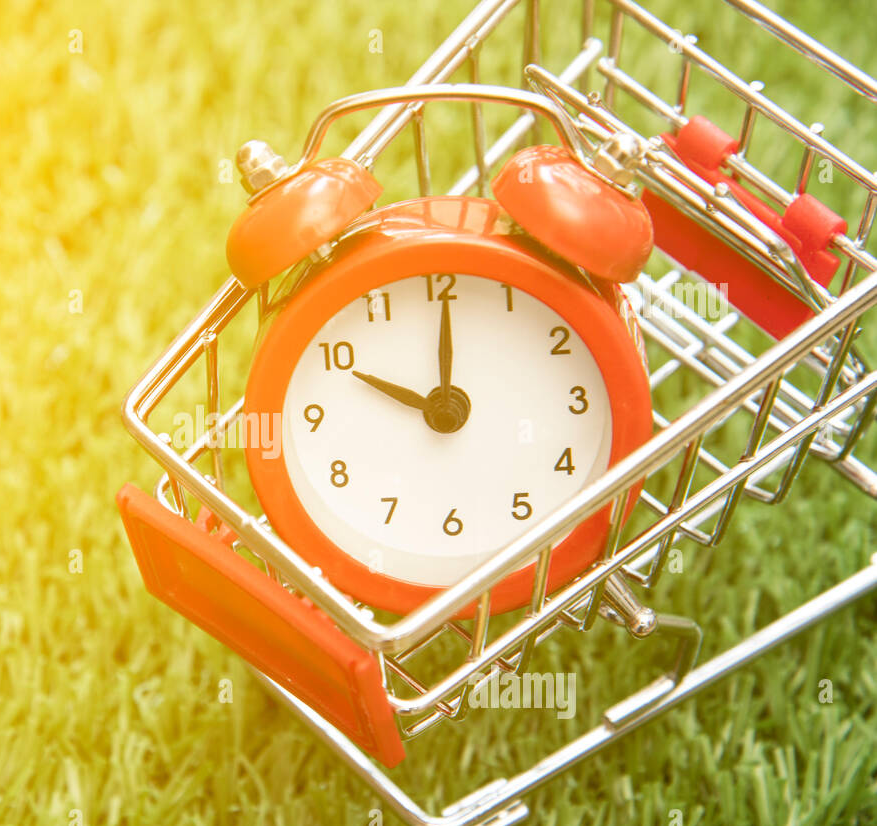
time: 10:00
